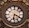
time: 6:19
